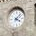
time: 4:07
